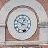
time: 12:49
